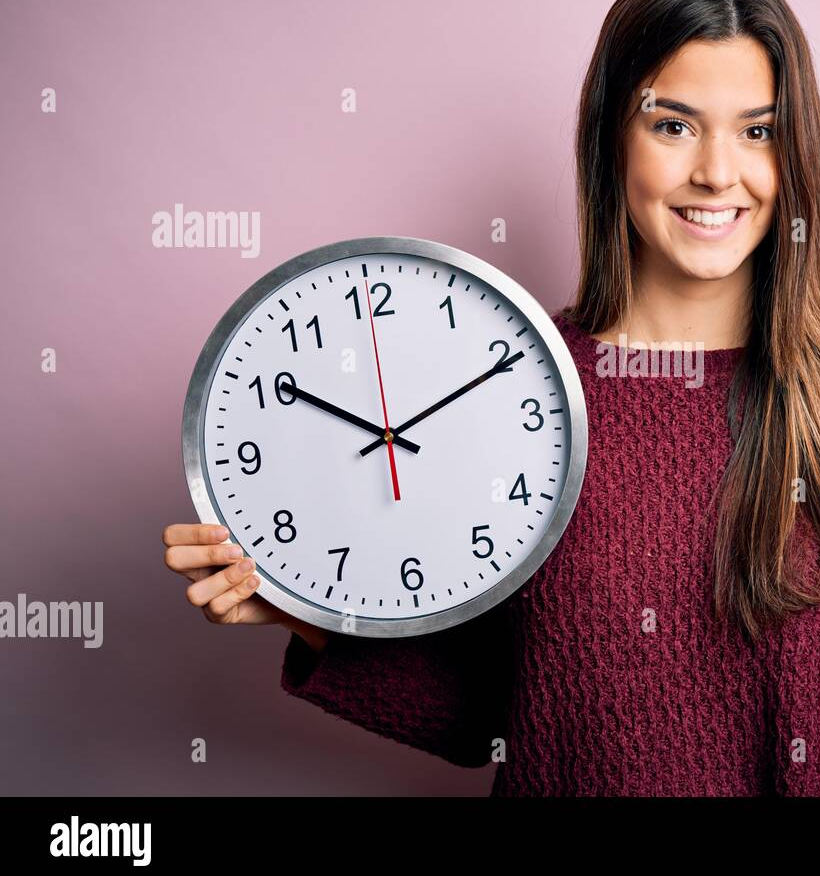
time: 10:10
